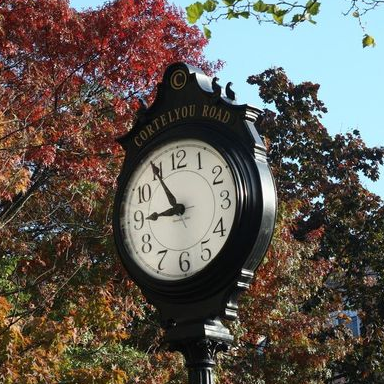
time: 8:54
